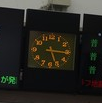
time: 5:15
